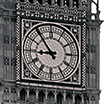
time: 8:53
